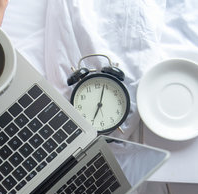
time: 7:03
